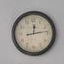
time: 12:13
